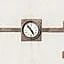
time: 4:52
